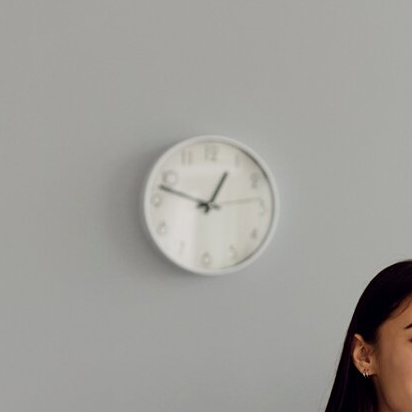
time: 12:47
